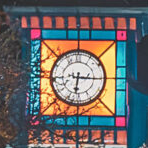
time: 6:15
